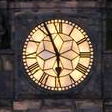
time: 5:55
